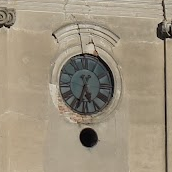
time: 5:33
